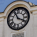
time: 3:55
